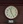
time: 11:25
